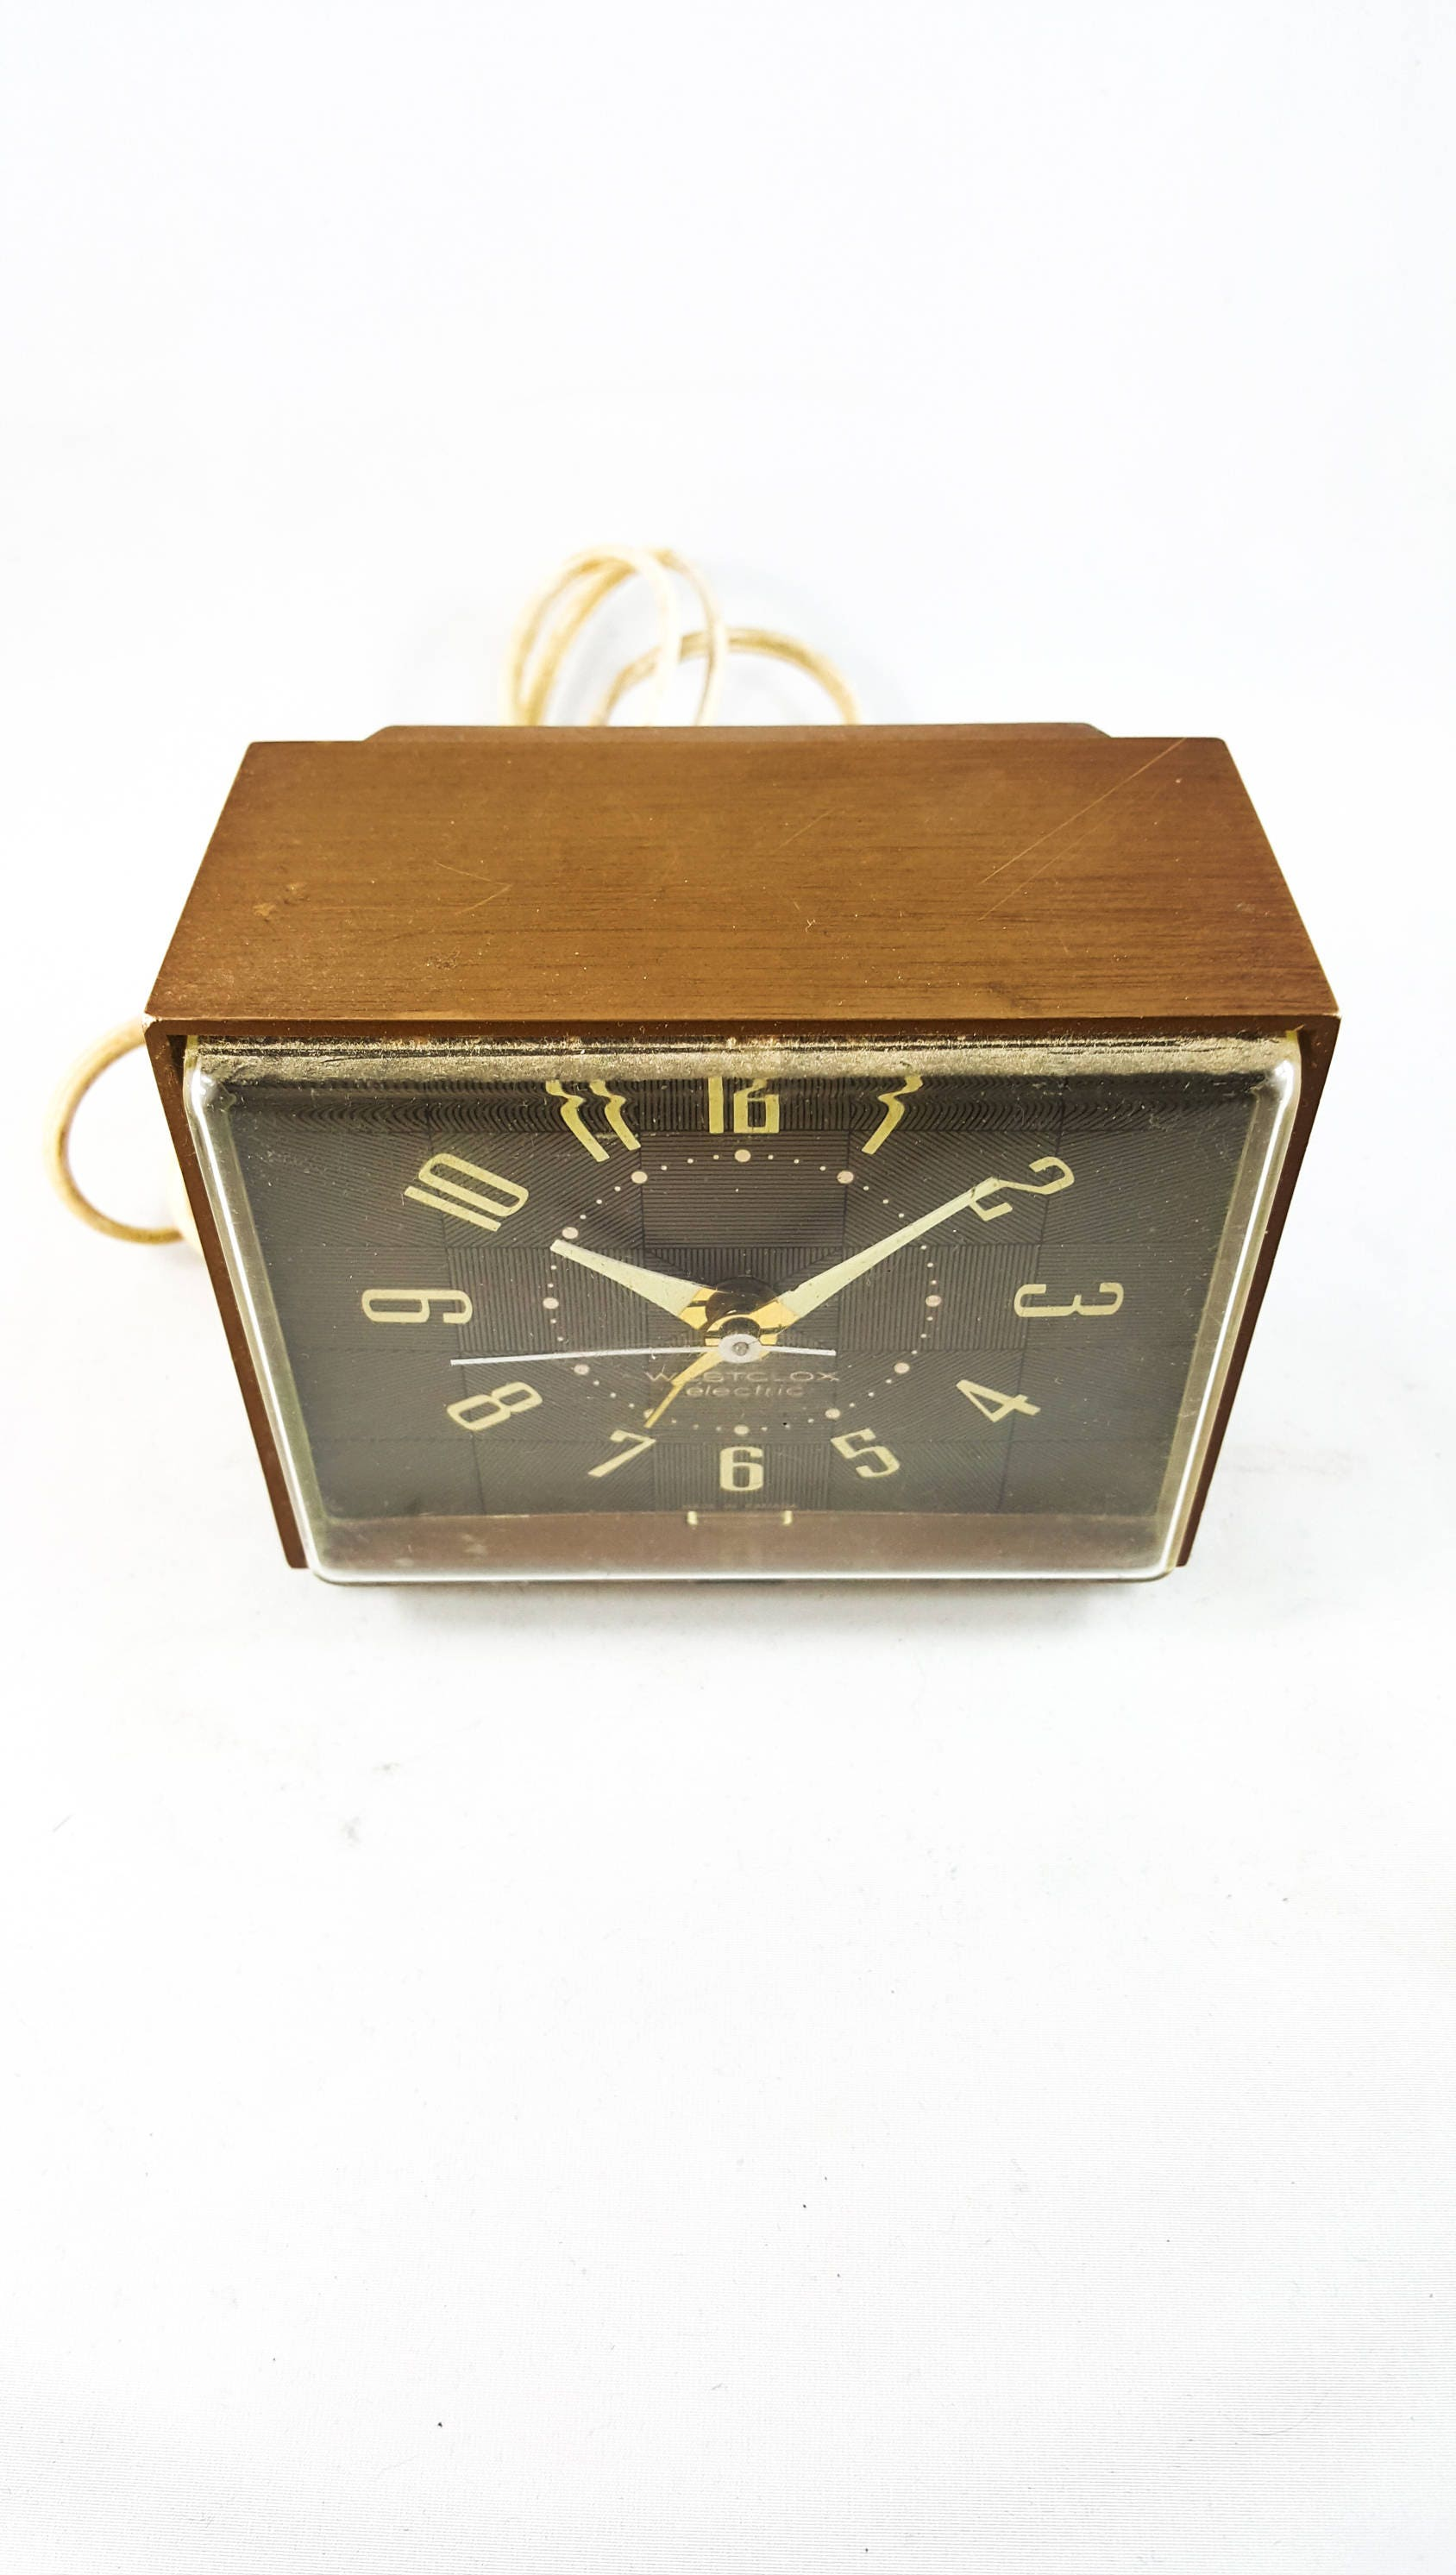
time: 10:08
